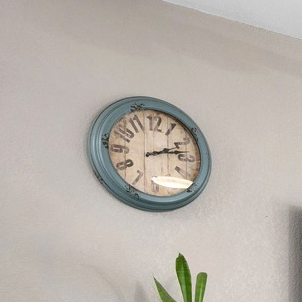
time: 2:12
